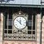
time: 11:51
